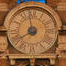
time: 7:58
